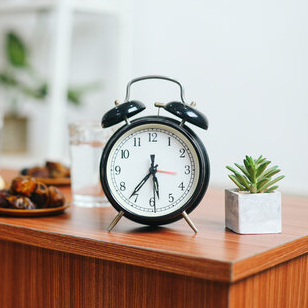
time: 5:36
